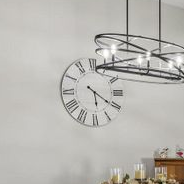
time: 5:20
